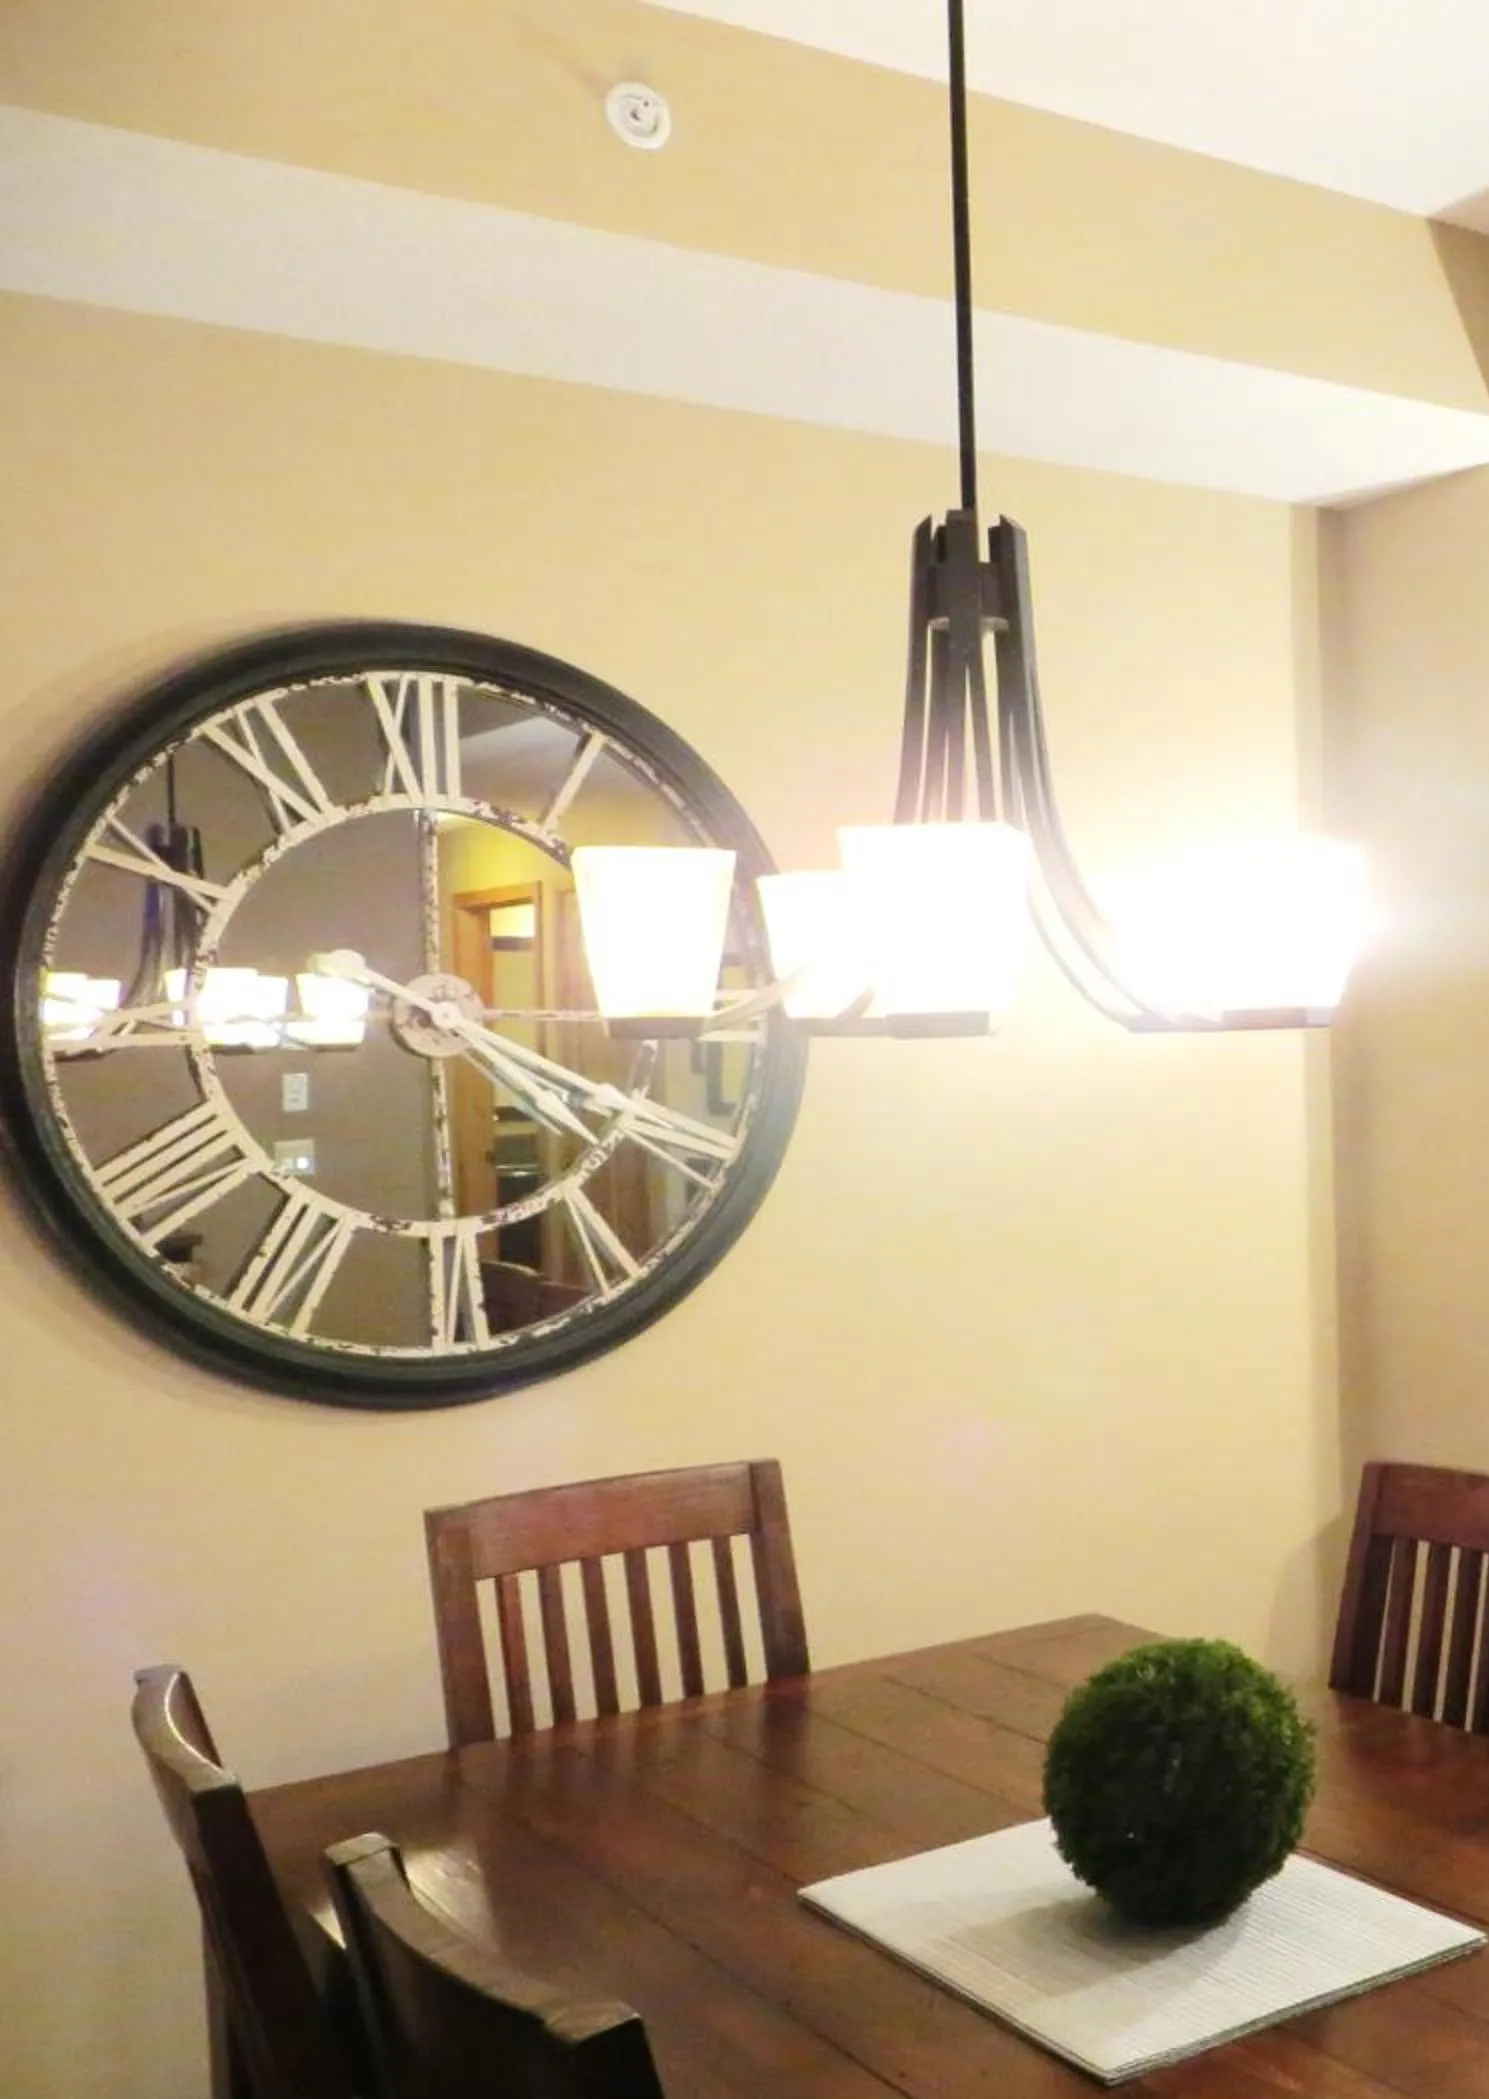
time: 4:20
